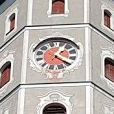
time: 1:20
